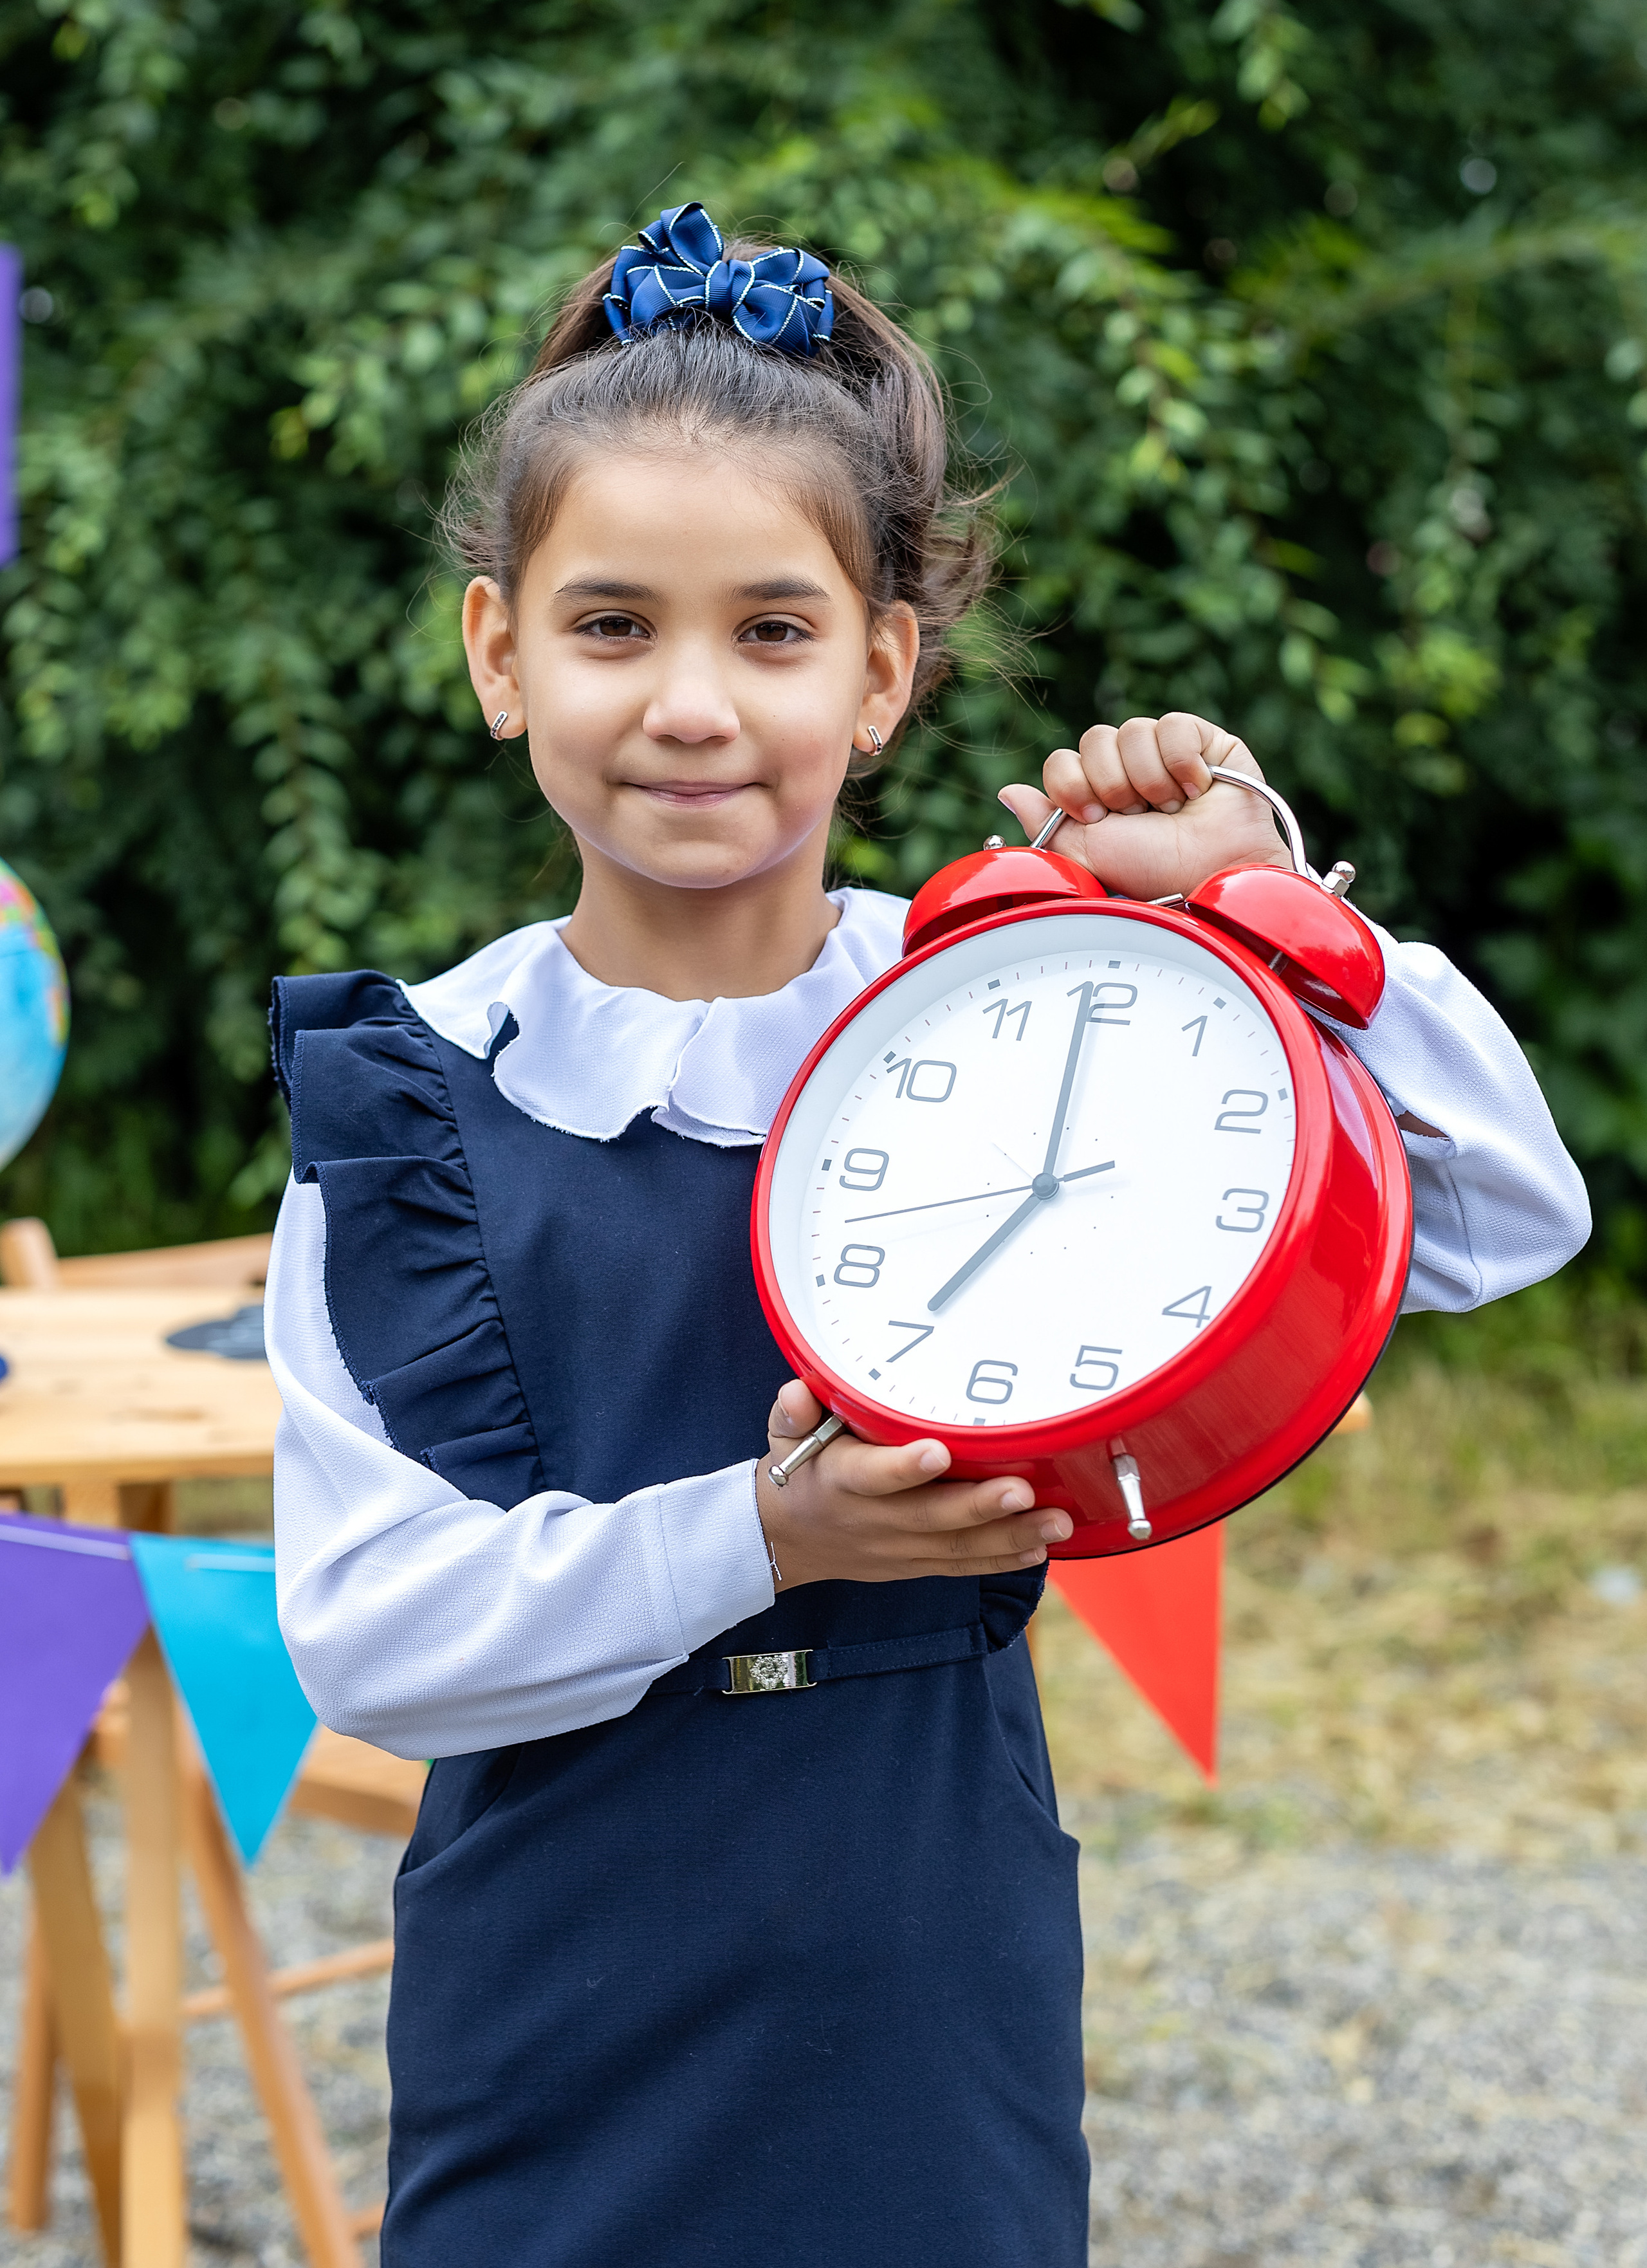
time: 6:59
